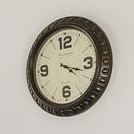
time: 4:17
